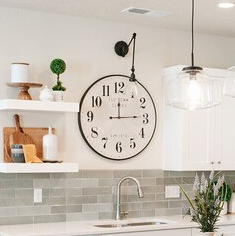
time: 12:14
